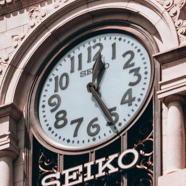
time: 12:25
